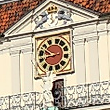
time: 9:42
